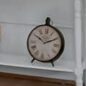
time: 10:10
